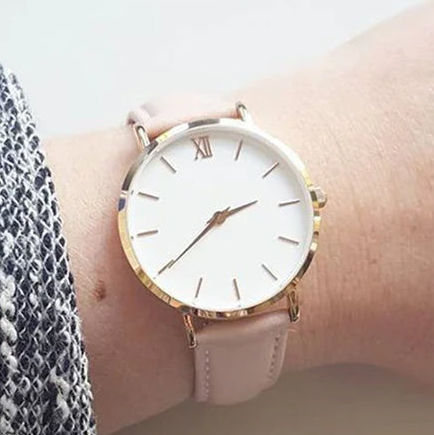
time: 2:39
